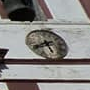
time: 5:40
